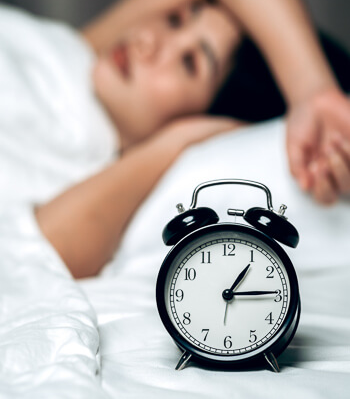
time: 1:14
